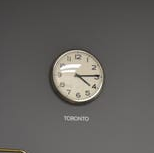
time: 4:14
